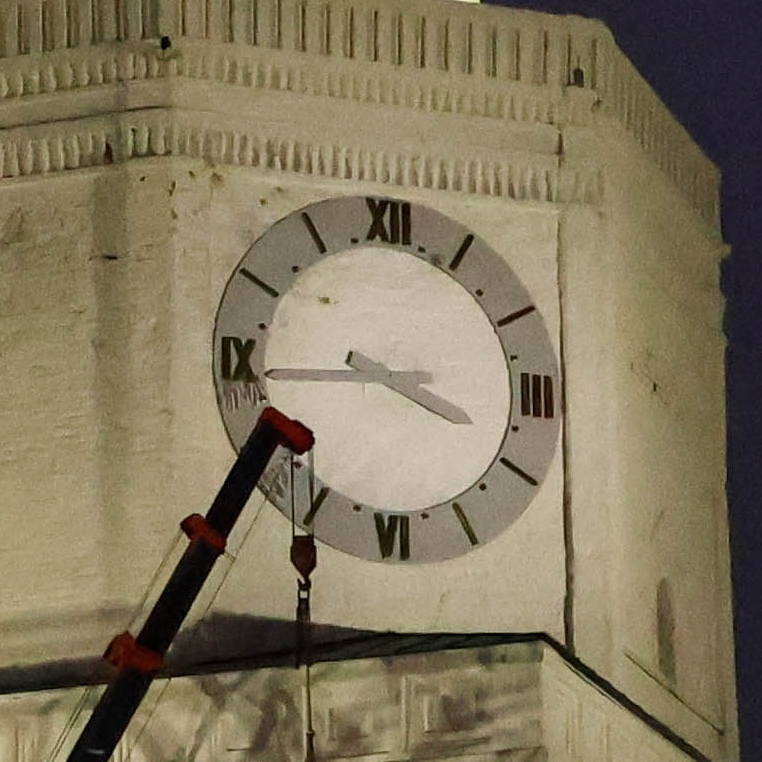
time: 3:44
